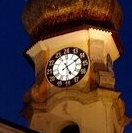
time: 5:09
